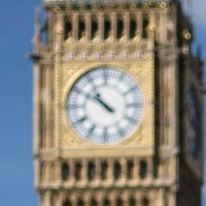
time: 10:50
